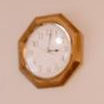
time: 3:01
